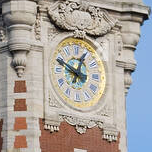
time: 12:49
